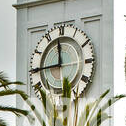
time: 11:44
